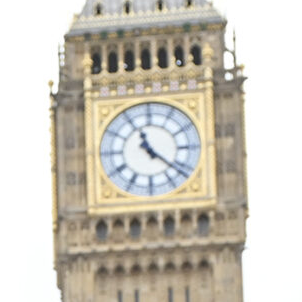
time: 11:21
